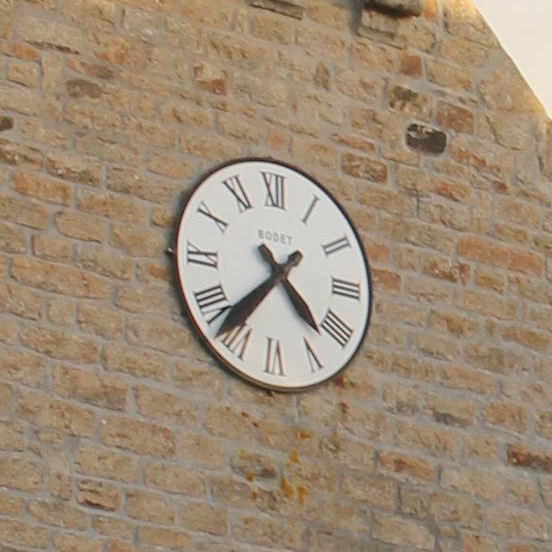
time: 4:36
